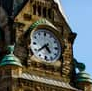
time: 4:38
